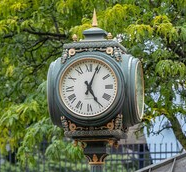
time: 5:03
